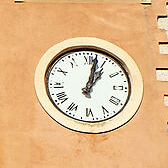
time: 1:02
